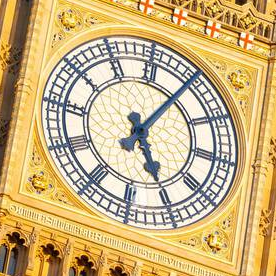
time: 5:05
